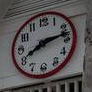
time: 8:13
